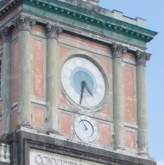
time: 4:32
